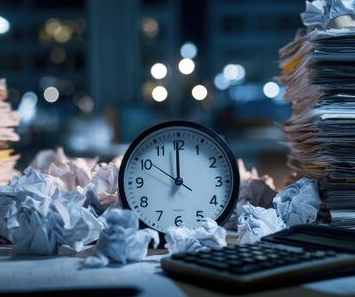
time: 11:59
